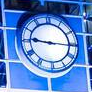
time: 9:15
